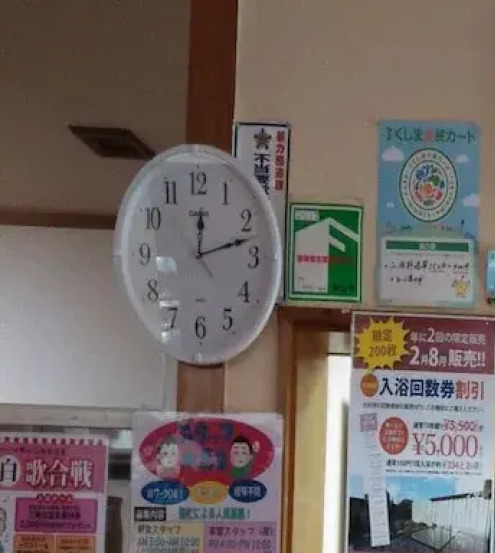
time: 12:12
